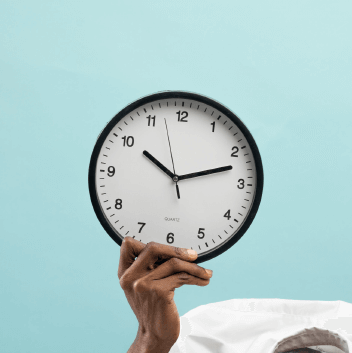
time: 10:12
